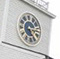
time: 5:15
